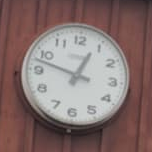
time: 12:47
